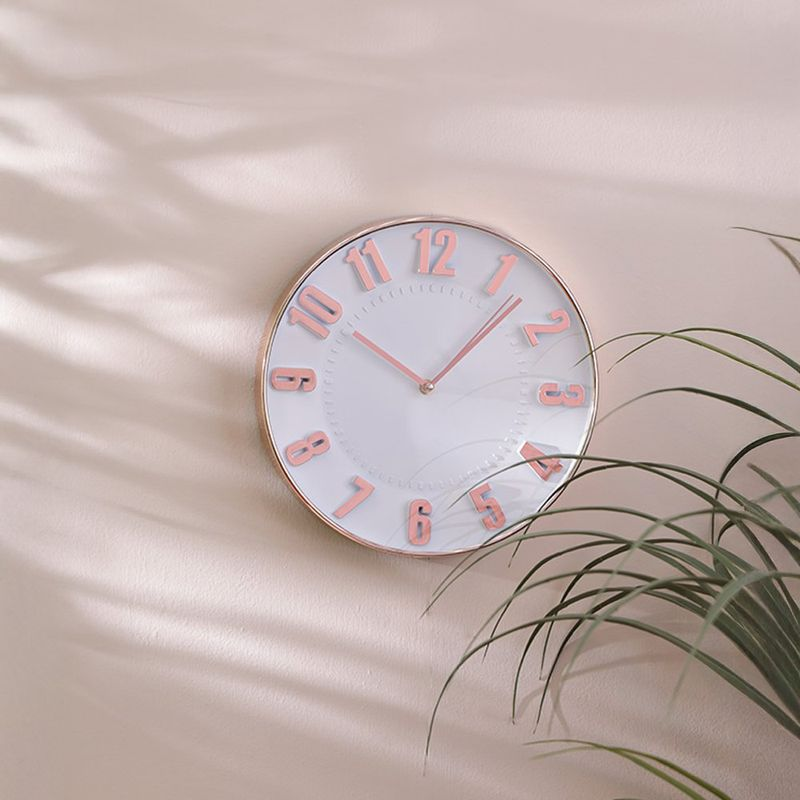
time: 10:07
